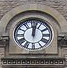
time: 12:02
